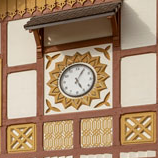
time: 5:04
